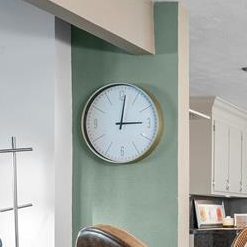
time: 3:01
